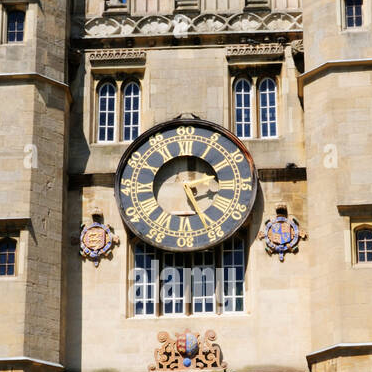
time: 2:26
